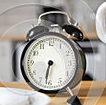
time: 6:32
